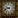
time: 9:42
